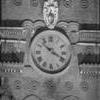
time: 10:19
